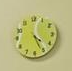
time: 4:26
